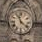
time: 11:21
